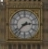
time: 2:37
